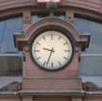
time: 9:33
